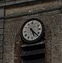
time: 5:22
